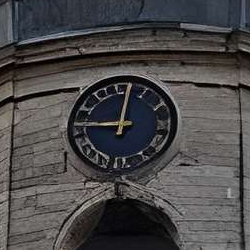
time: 9:01
